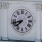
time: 7:42
